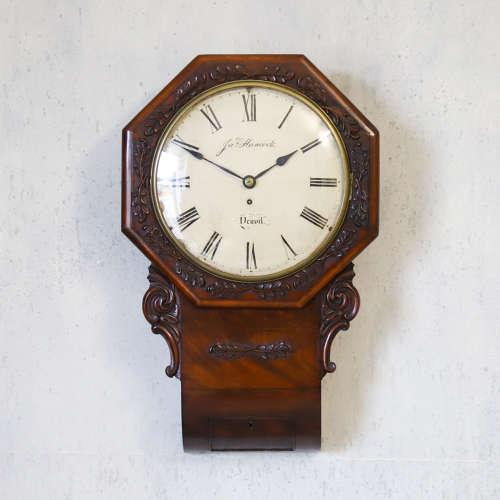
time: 1:50
